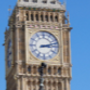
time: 3:12
